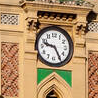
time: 9:25
